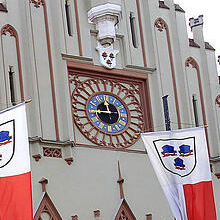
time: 11:44
